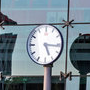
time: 5:16
